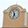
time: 11:32
